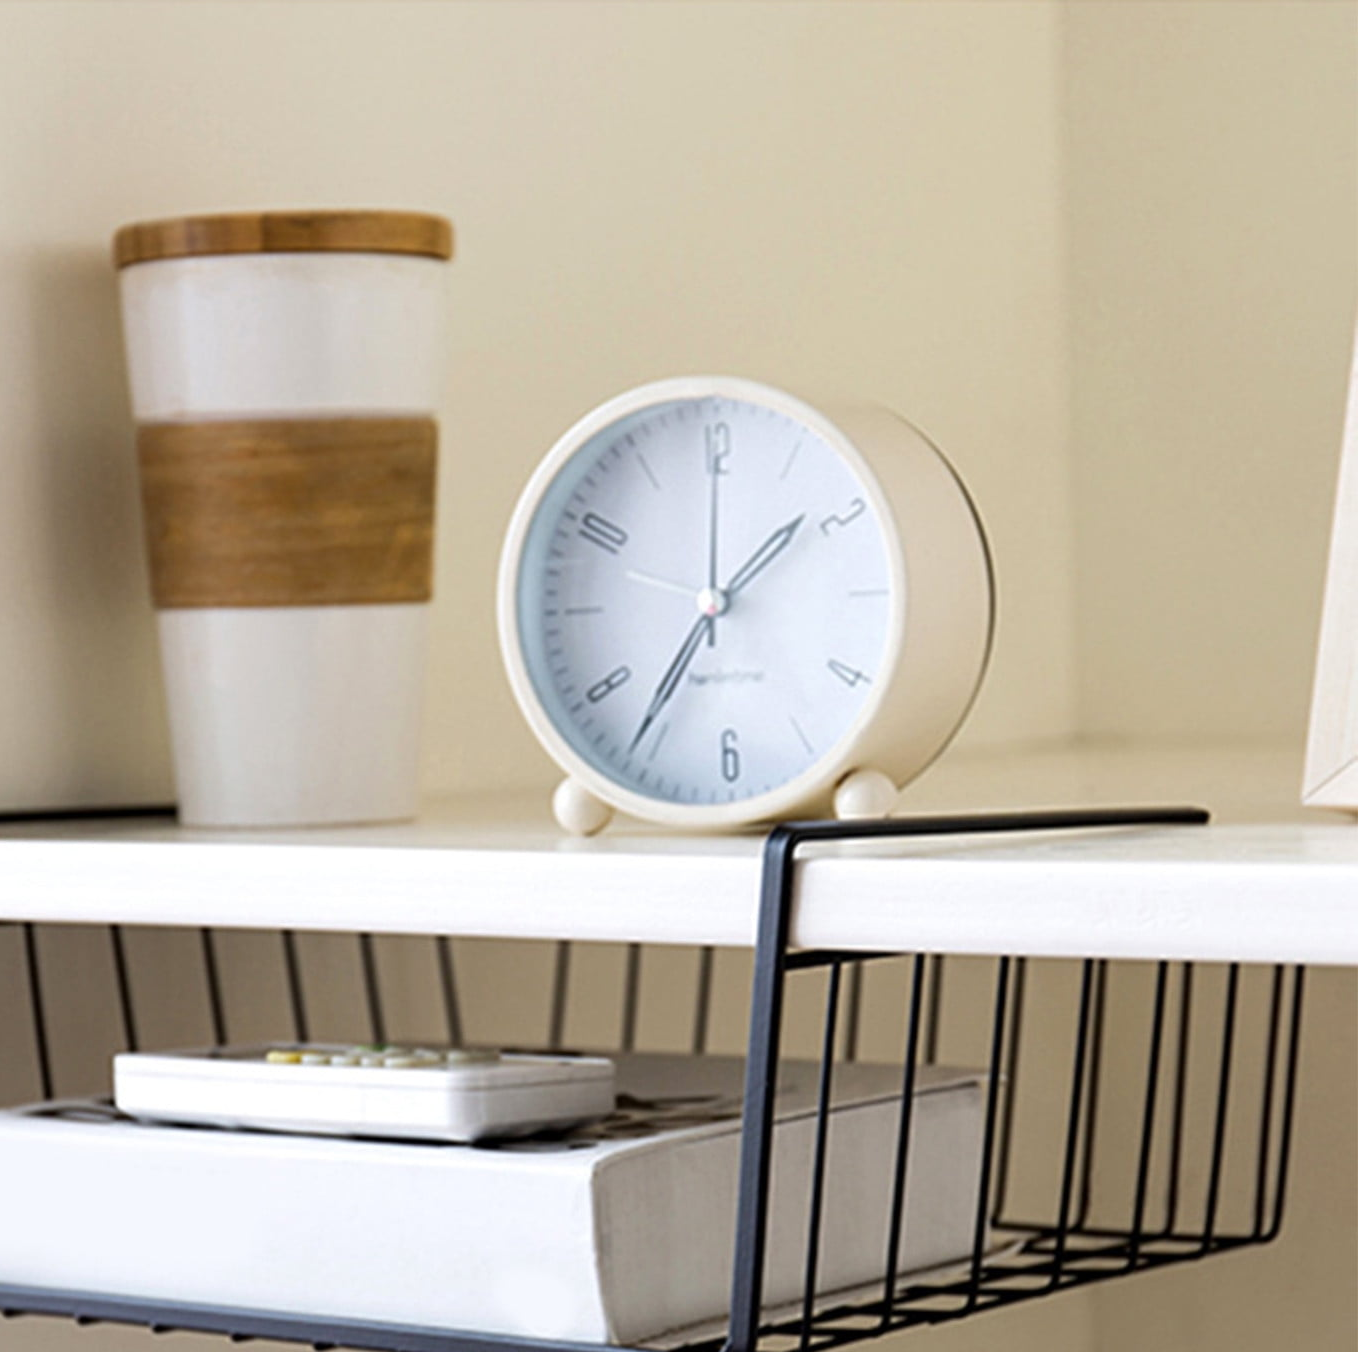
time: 1:36
